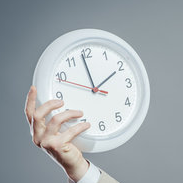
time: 1:58
